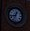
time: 12:43
